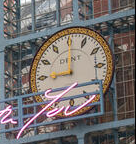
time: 9:00
